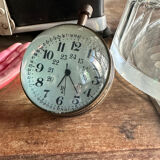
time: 6:23
